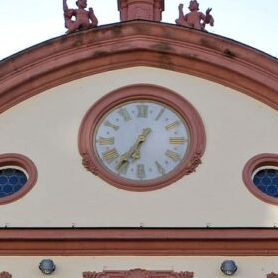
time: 6:35
